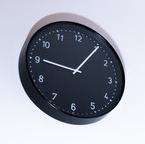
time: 9:05
